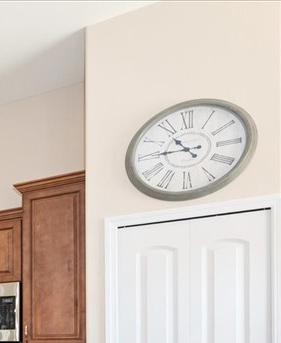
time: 10:45
